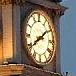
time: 1:39
